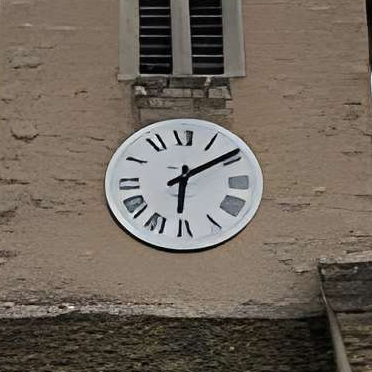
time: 6:09
